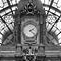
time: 2:21
